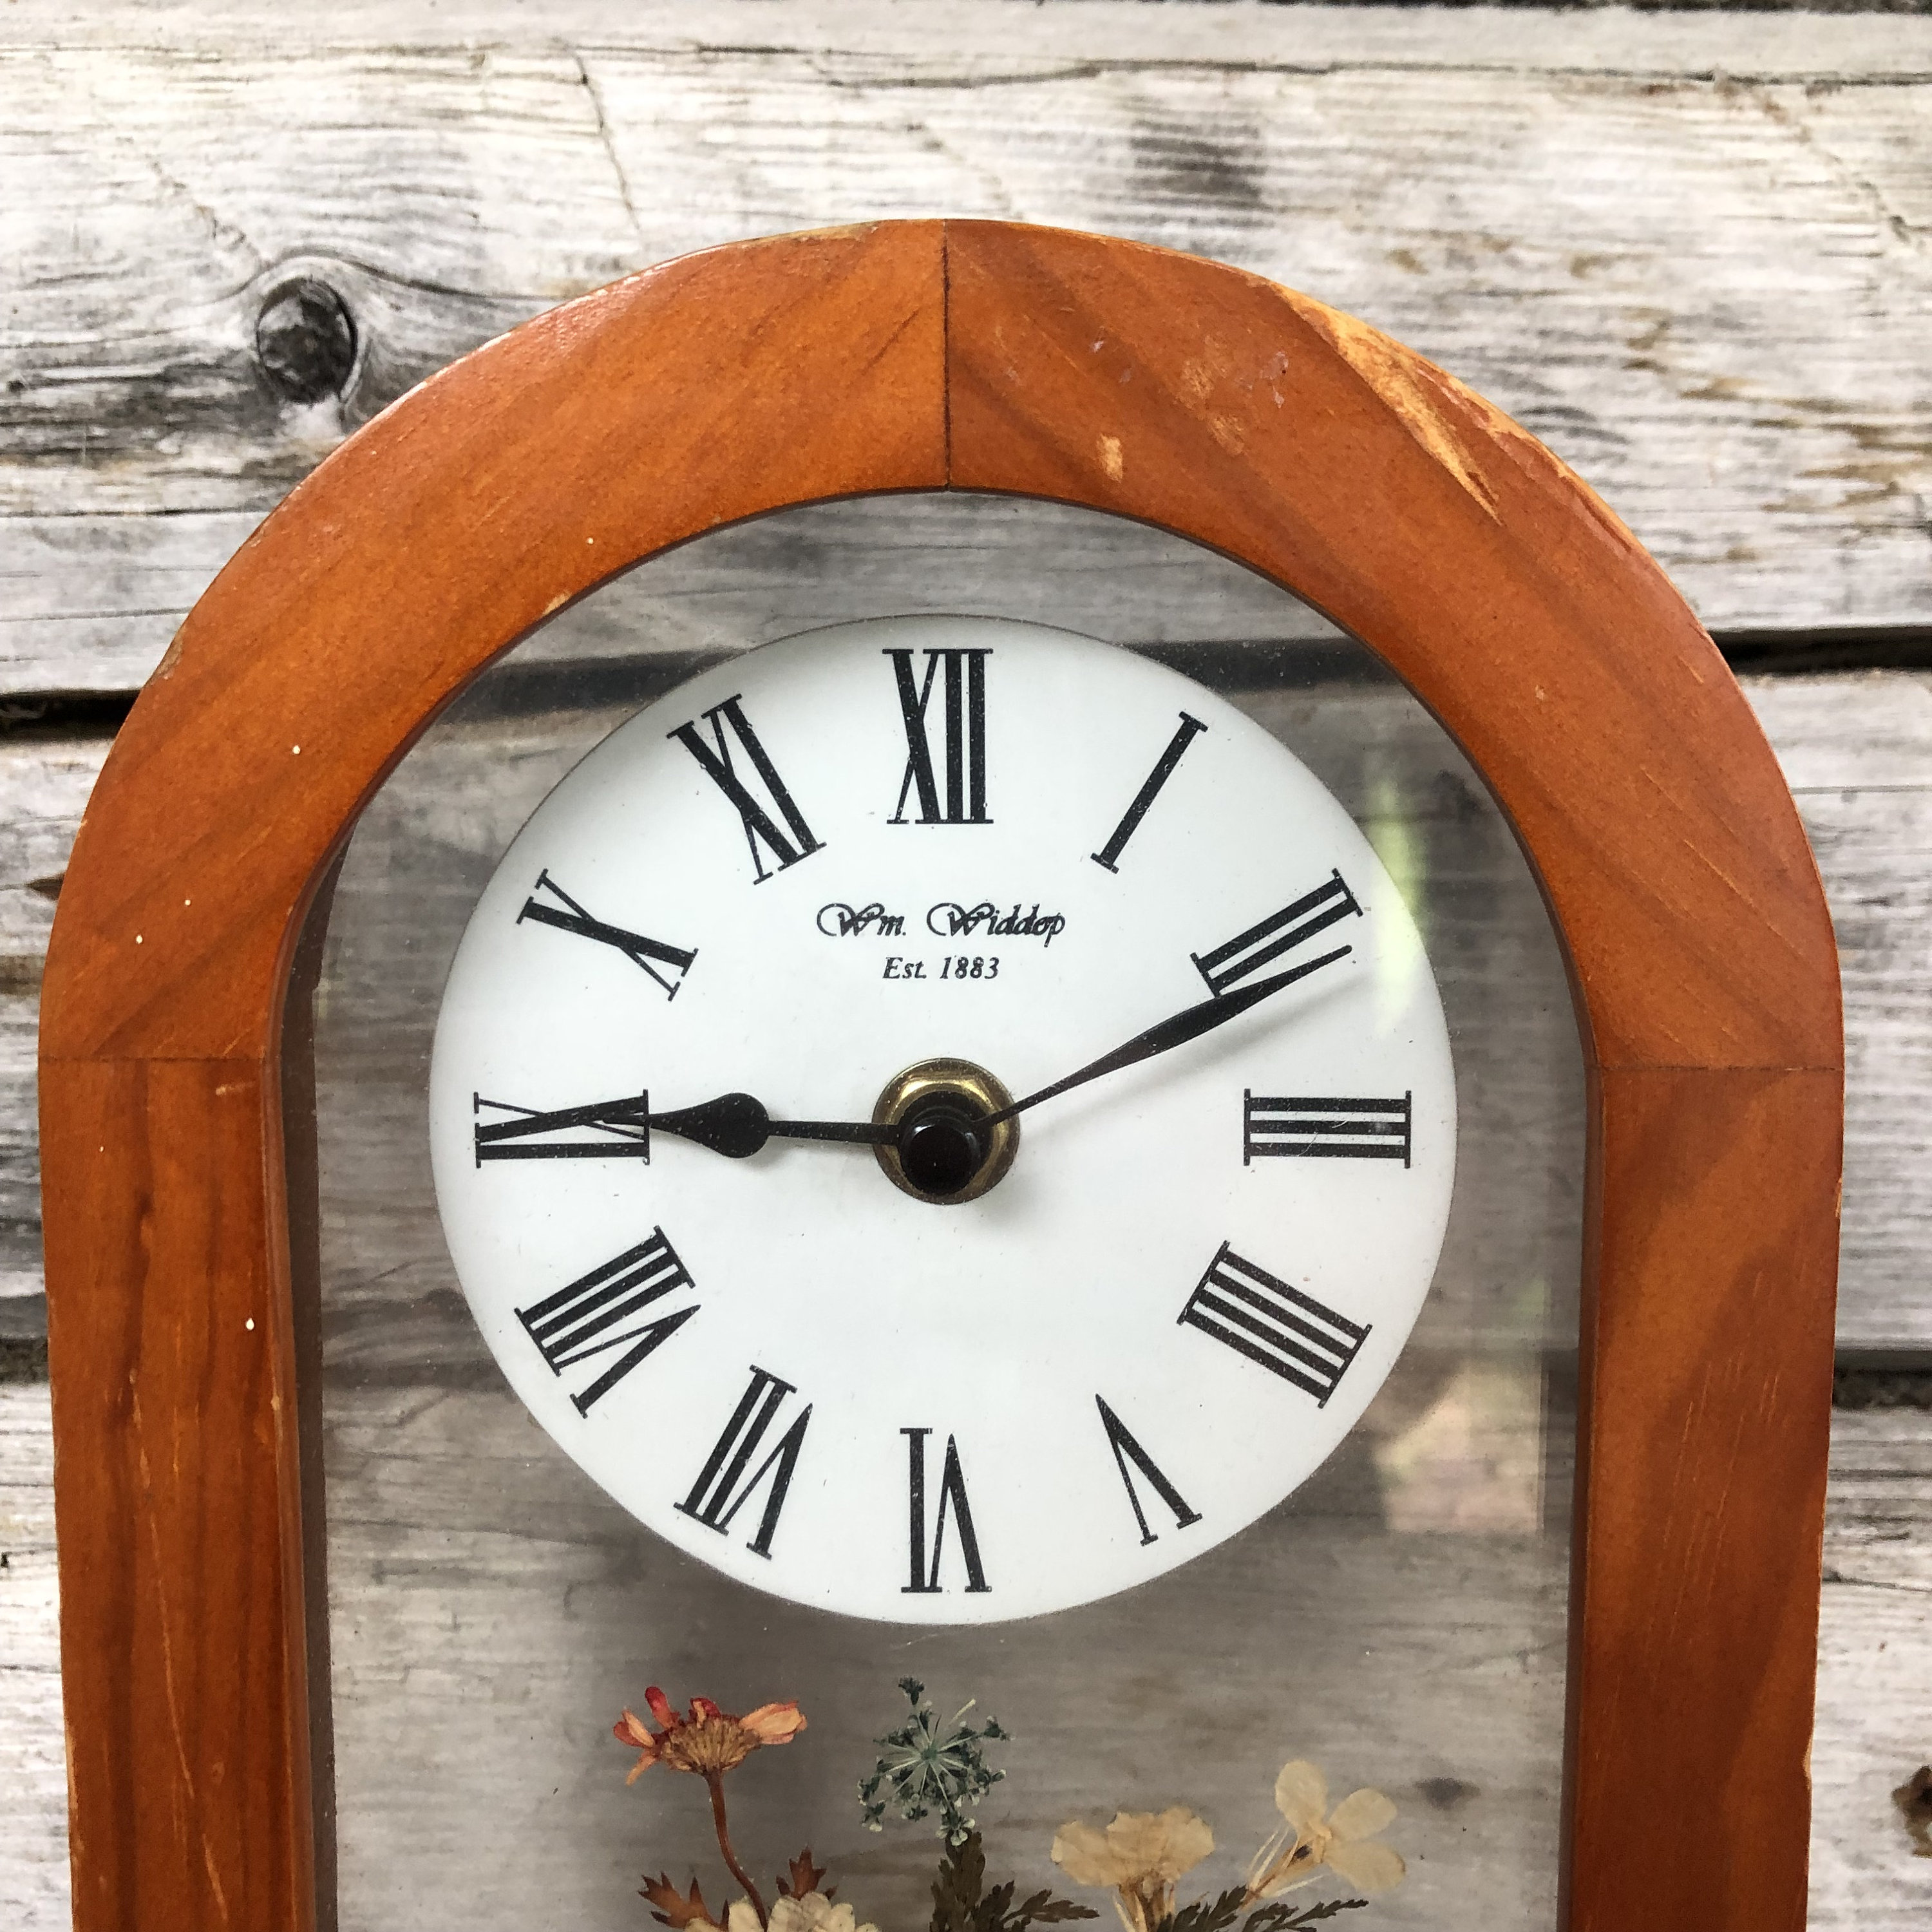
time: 9:10
